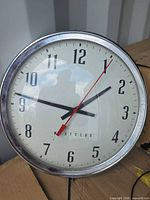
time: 1:46
